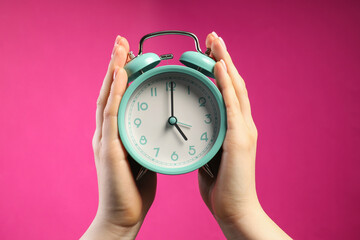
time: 5:00
